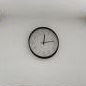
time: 12:13
